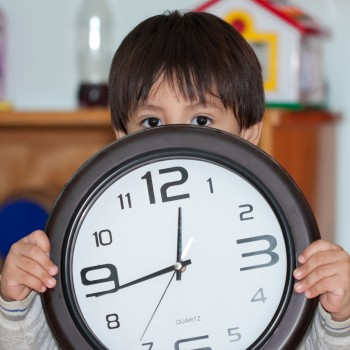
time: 12:43
